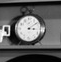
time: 3:09
